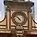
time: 4:52
